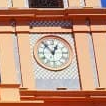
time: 12:53
